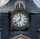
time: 8:02
